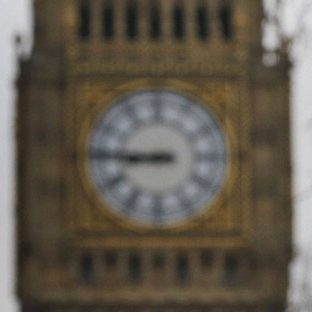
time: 8:45
